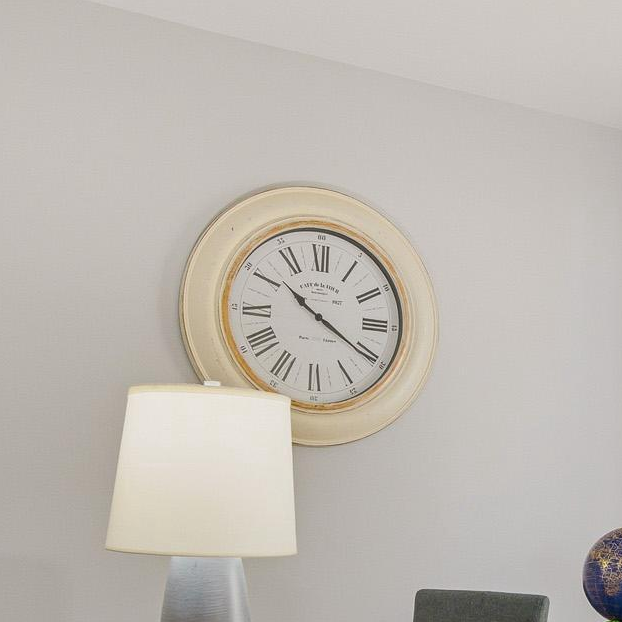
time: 10:20
